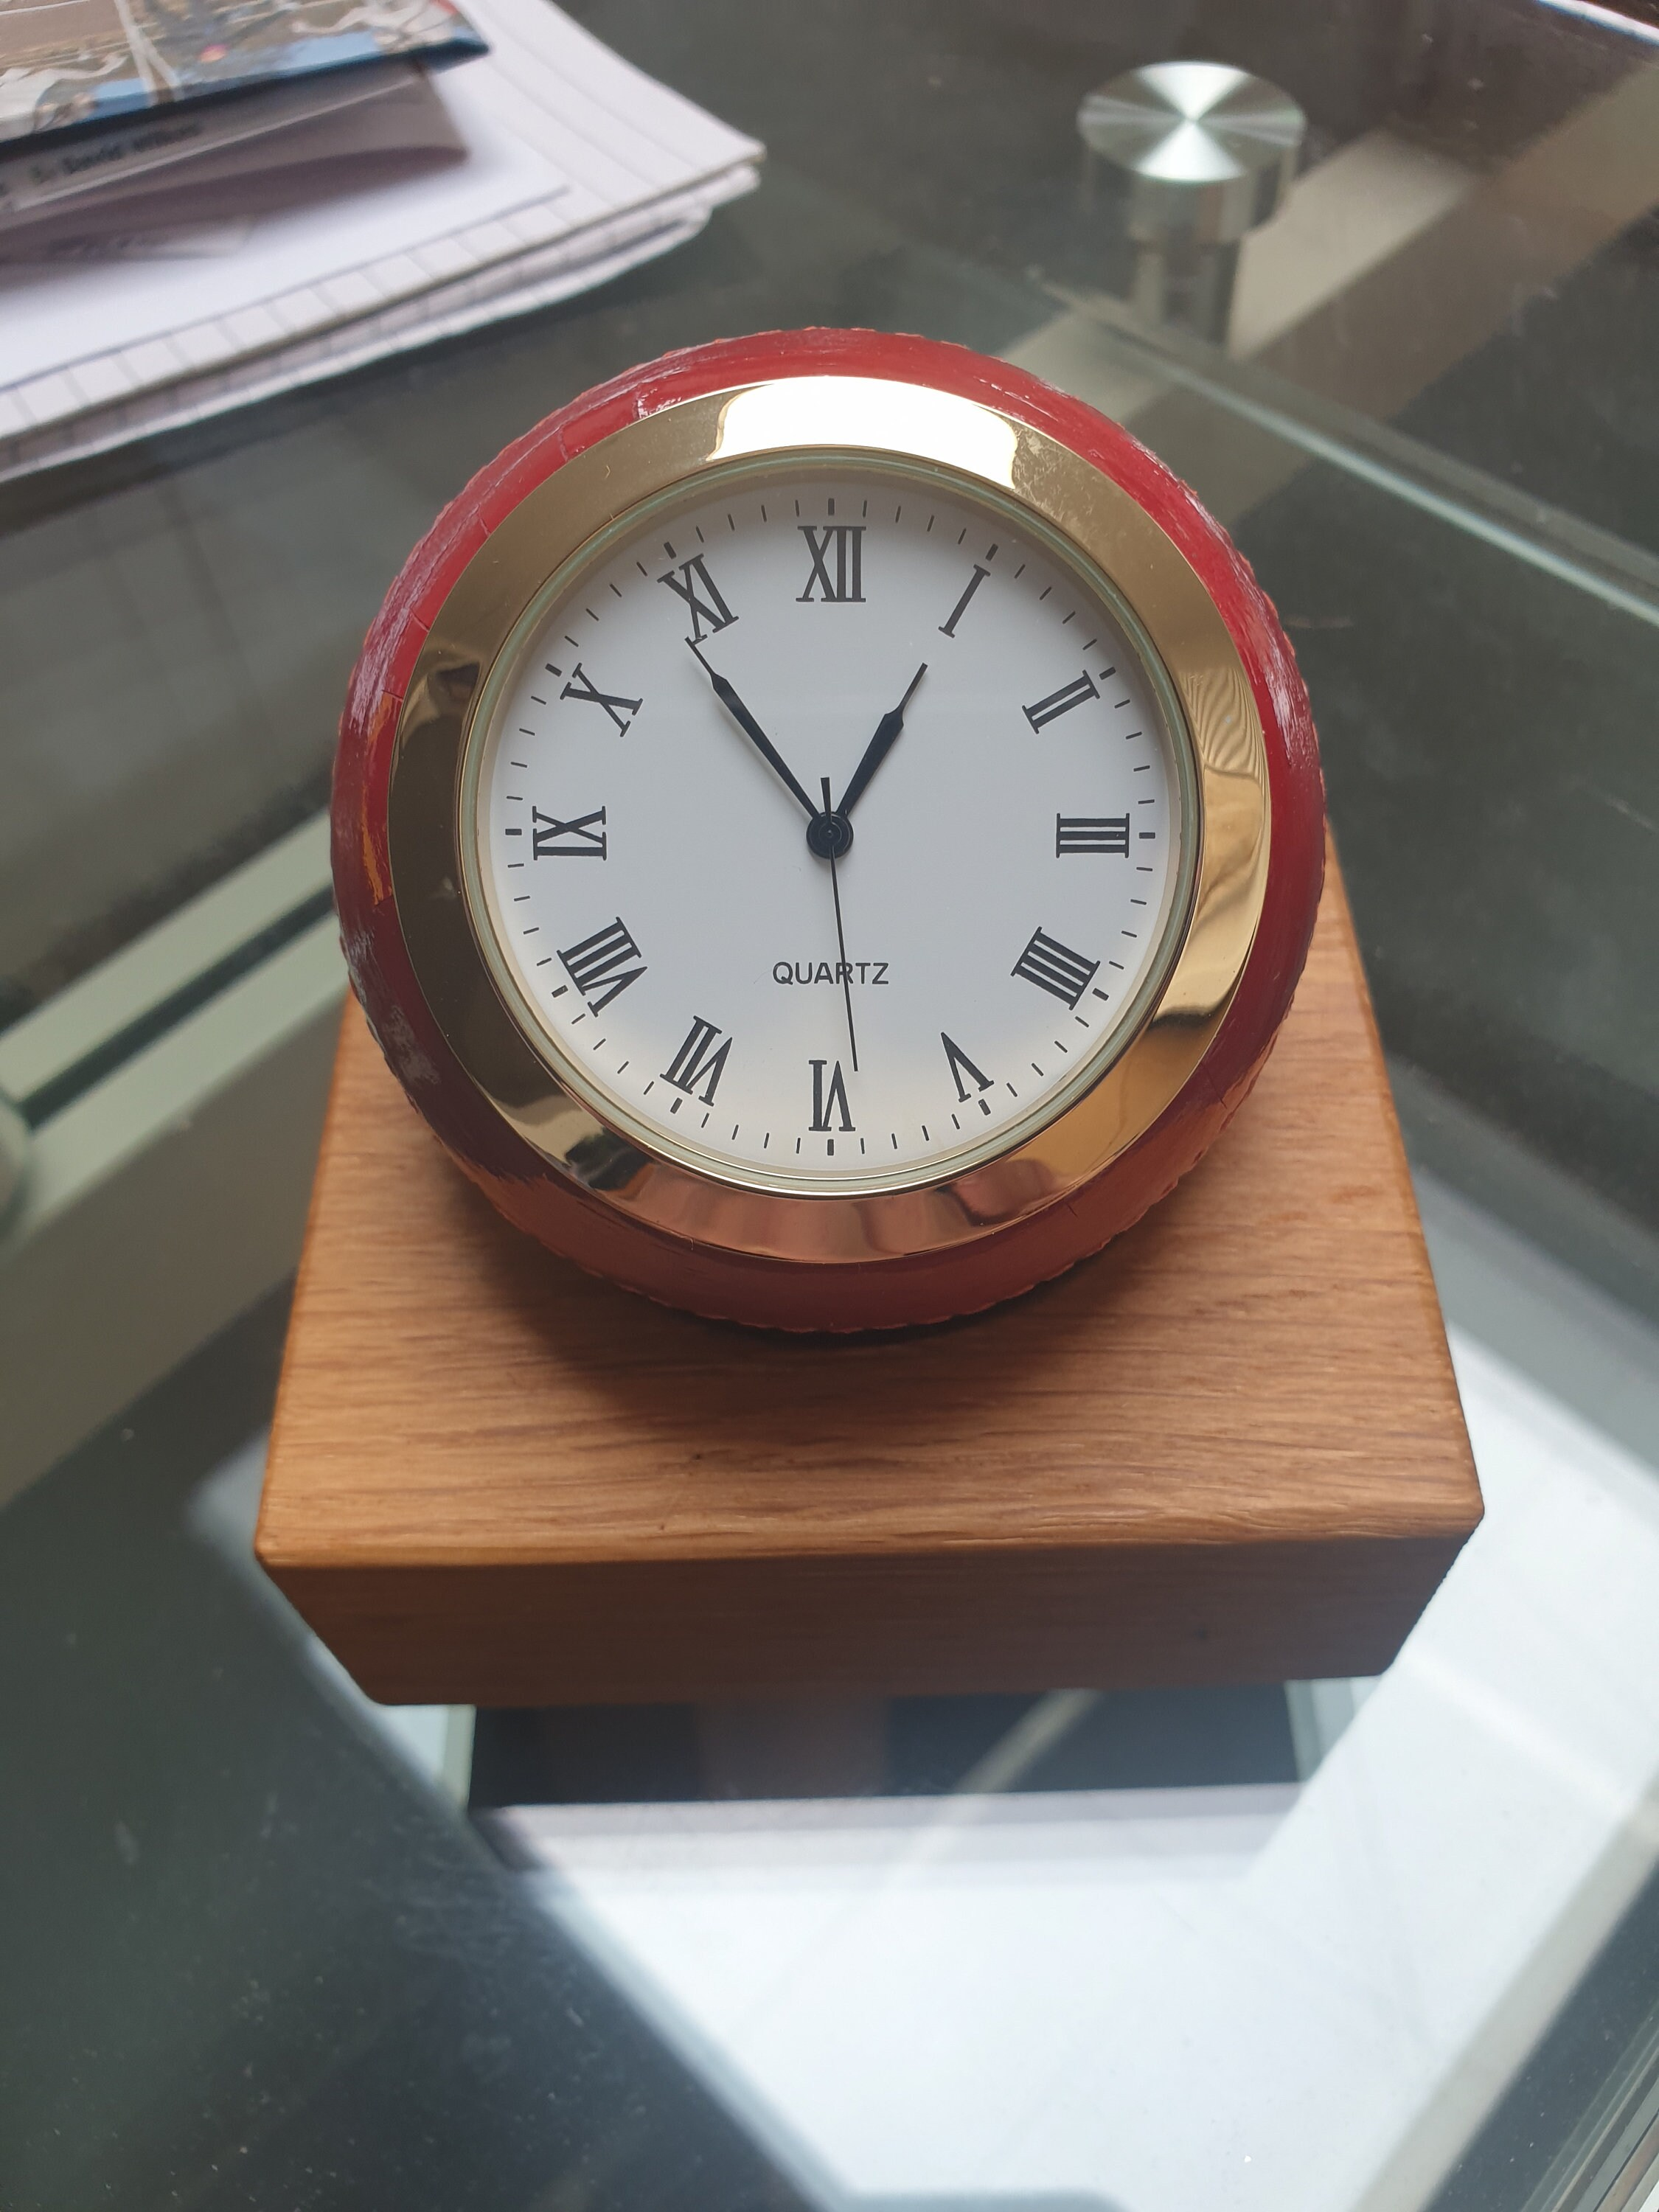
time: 12:54
